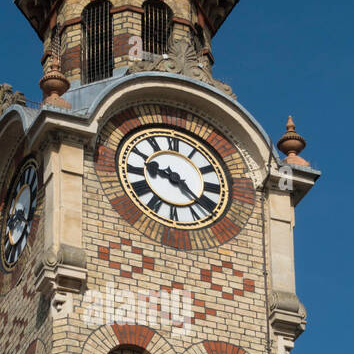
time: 9:22
